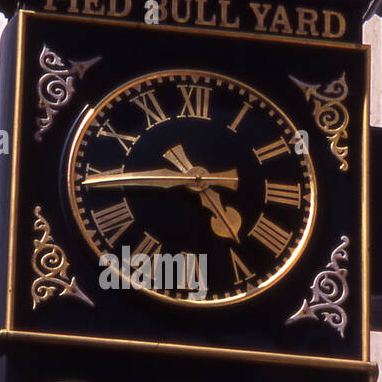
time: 4:44
